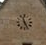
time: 11:25
